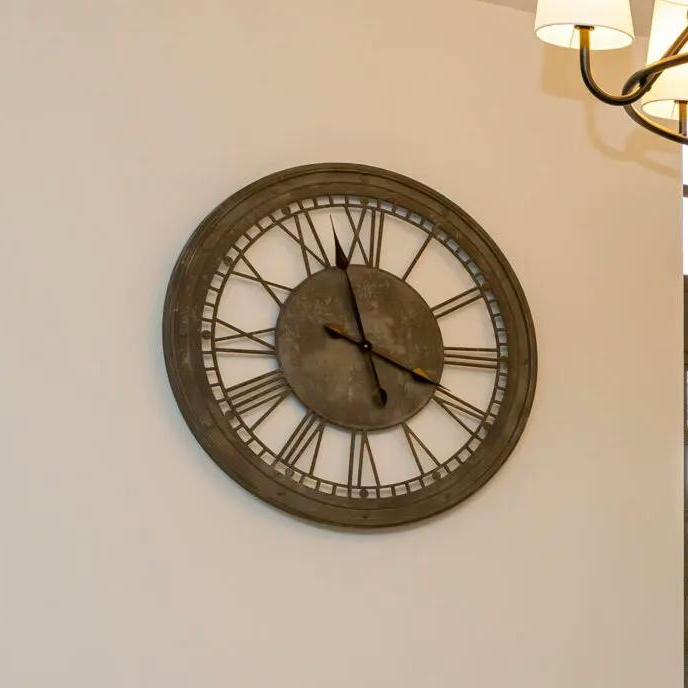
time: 3:57
